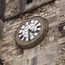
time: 4:29
